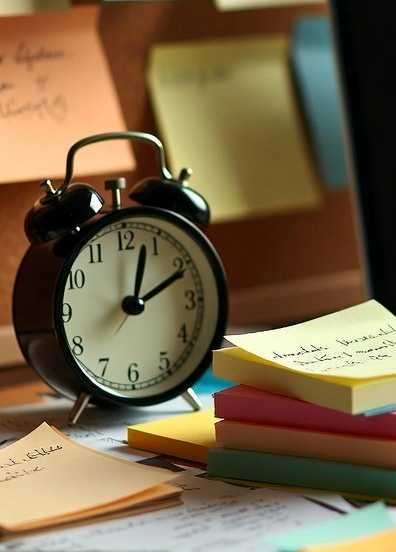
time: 2:02
